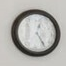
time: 12:24
